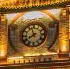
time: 7:56
